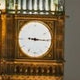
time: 3:15
